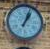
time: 1:03
